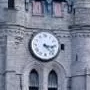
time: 3:22
